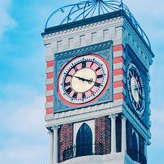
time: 3:50
